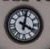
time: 4:02
